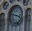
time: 3:47
